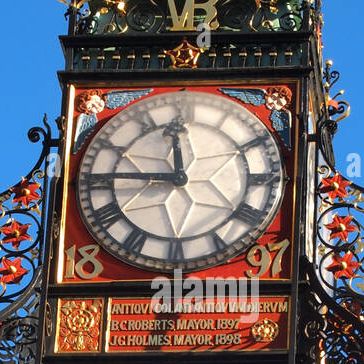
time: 11:45
